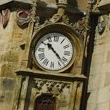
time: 10:22
